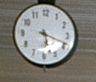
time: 5:18
